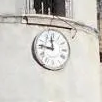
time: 11:46
